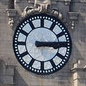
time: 3:14
